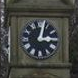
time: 3:02
